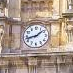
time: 1:42
